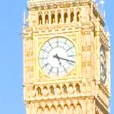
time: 5:18
